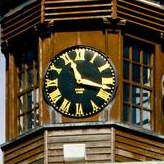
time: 11:17
